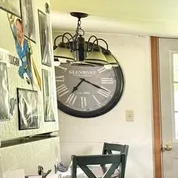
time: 7:19
